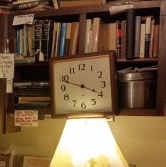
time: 3:48
